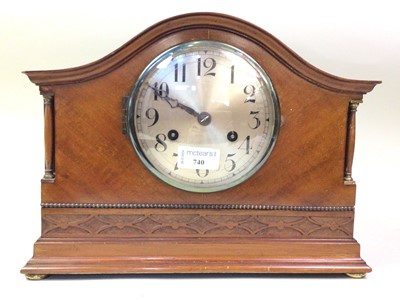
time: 9:50
